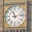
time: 11:13
